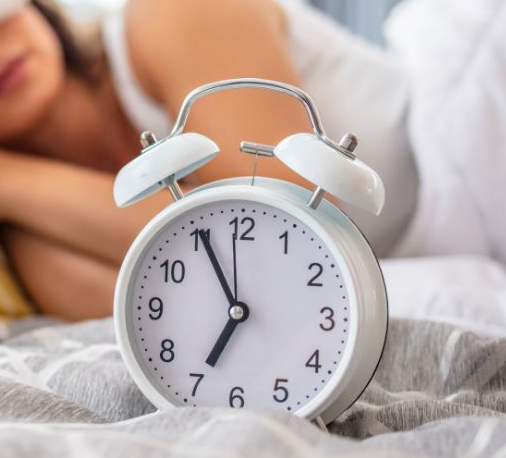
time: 6:55
